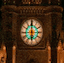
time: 5:59
